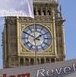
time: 1:50
